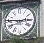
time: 2:46
